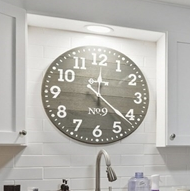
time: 12:21
